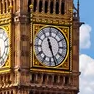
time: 11:26
